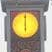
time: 5:59
